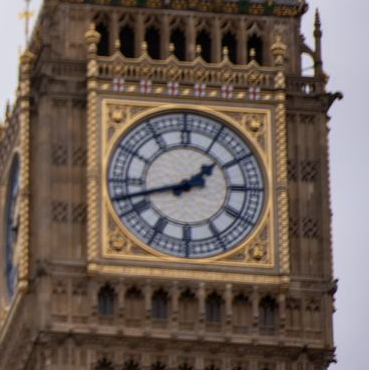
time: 1:42
